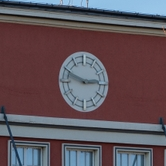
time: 2:48
